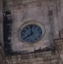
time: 11:38
